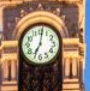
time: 7:01
